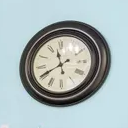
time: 11:40
